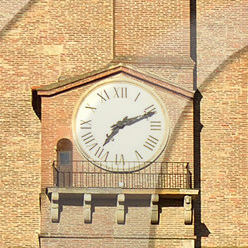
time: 7:11
